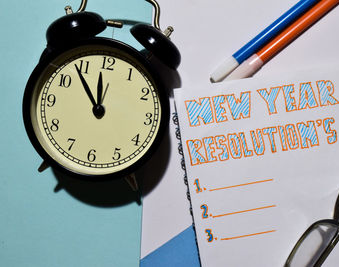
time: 11:53
